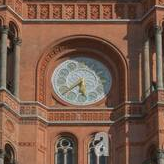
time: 6:38
